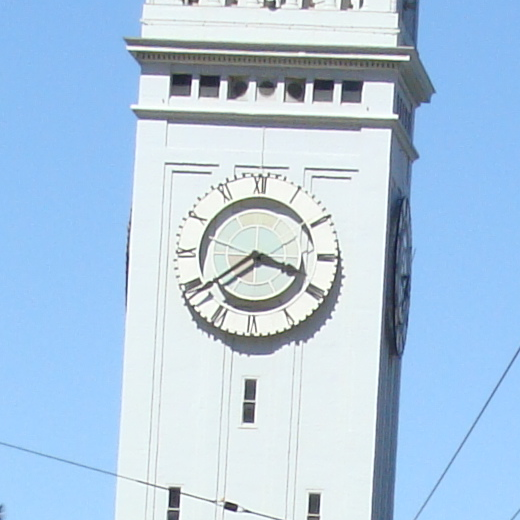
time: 3:39
